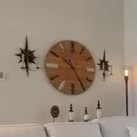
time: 10:24
